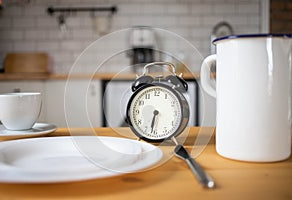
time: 6:32
